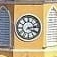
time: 4:13
